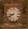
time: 8:39
